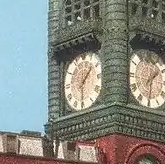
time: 1:30
